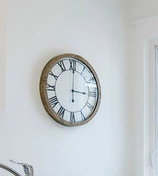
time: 3:00
